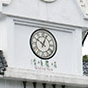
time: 10:03
